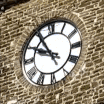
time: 9:54
